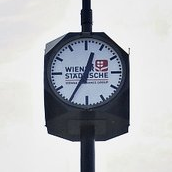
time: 12:34
